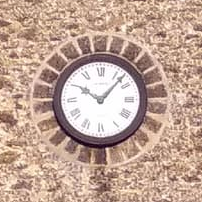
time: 10:07
